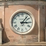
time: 3:06
